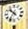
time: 10:36
